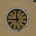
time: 11:44
